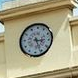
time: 3:26
